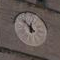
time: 11:51
